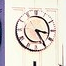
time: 3:24
